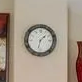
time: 1:32
